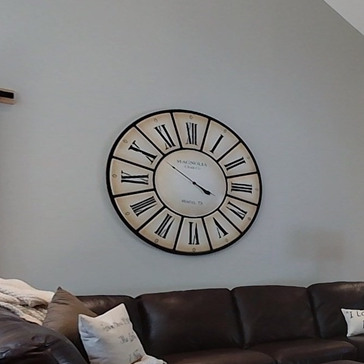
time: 3:51
